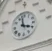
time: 3:58
